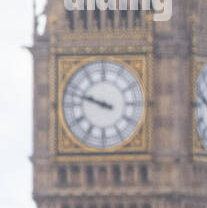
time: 9:48
